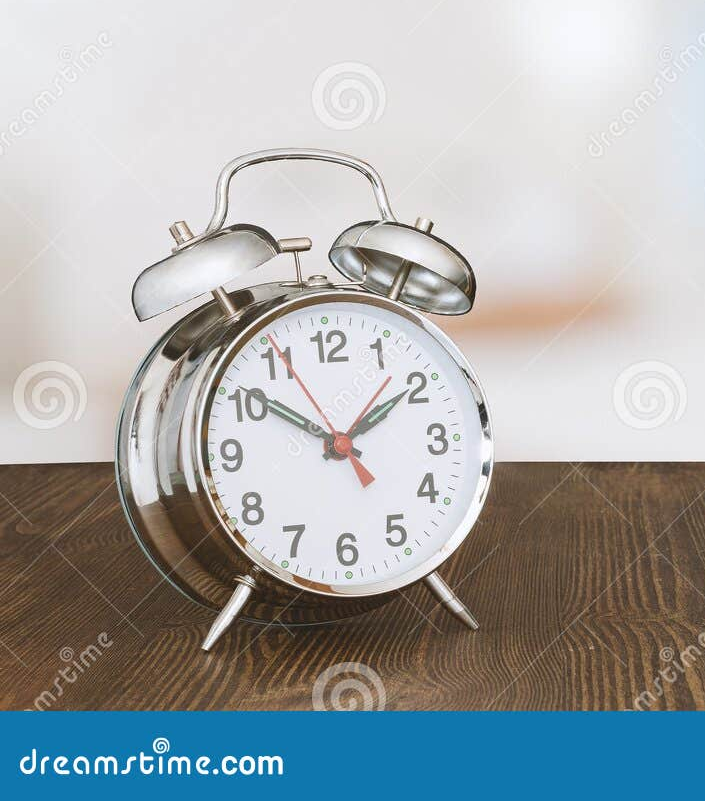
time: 1:50
